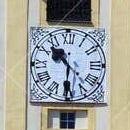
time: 10:30
